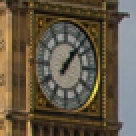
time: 1:07
